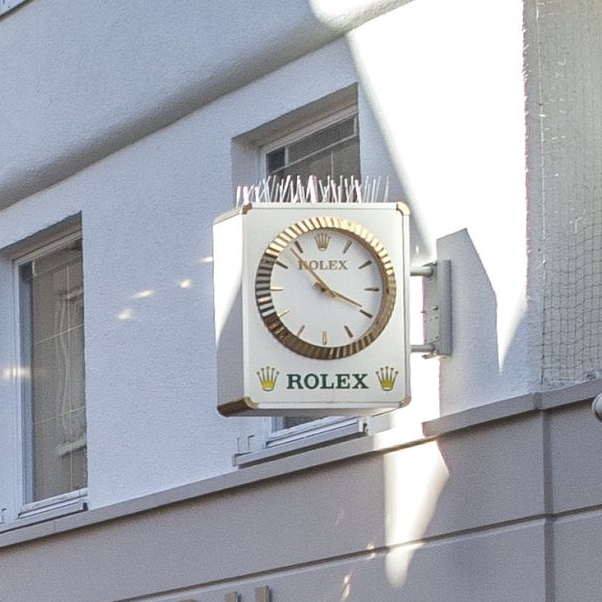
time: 3:53
